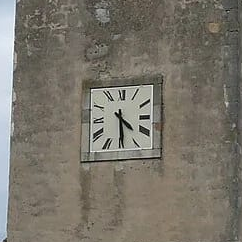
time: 4:29
